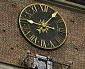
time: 9:05
